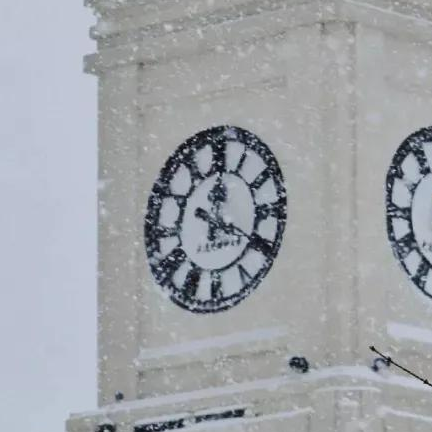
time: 12:19
